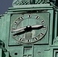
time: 8:14
